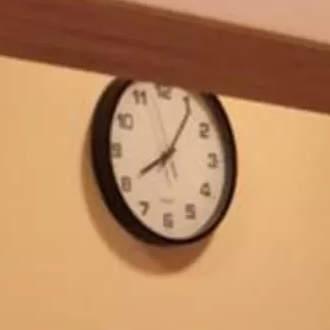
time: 8:05
